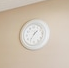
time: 1:36
